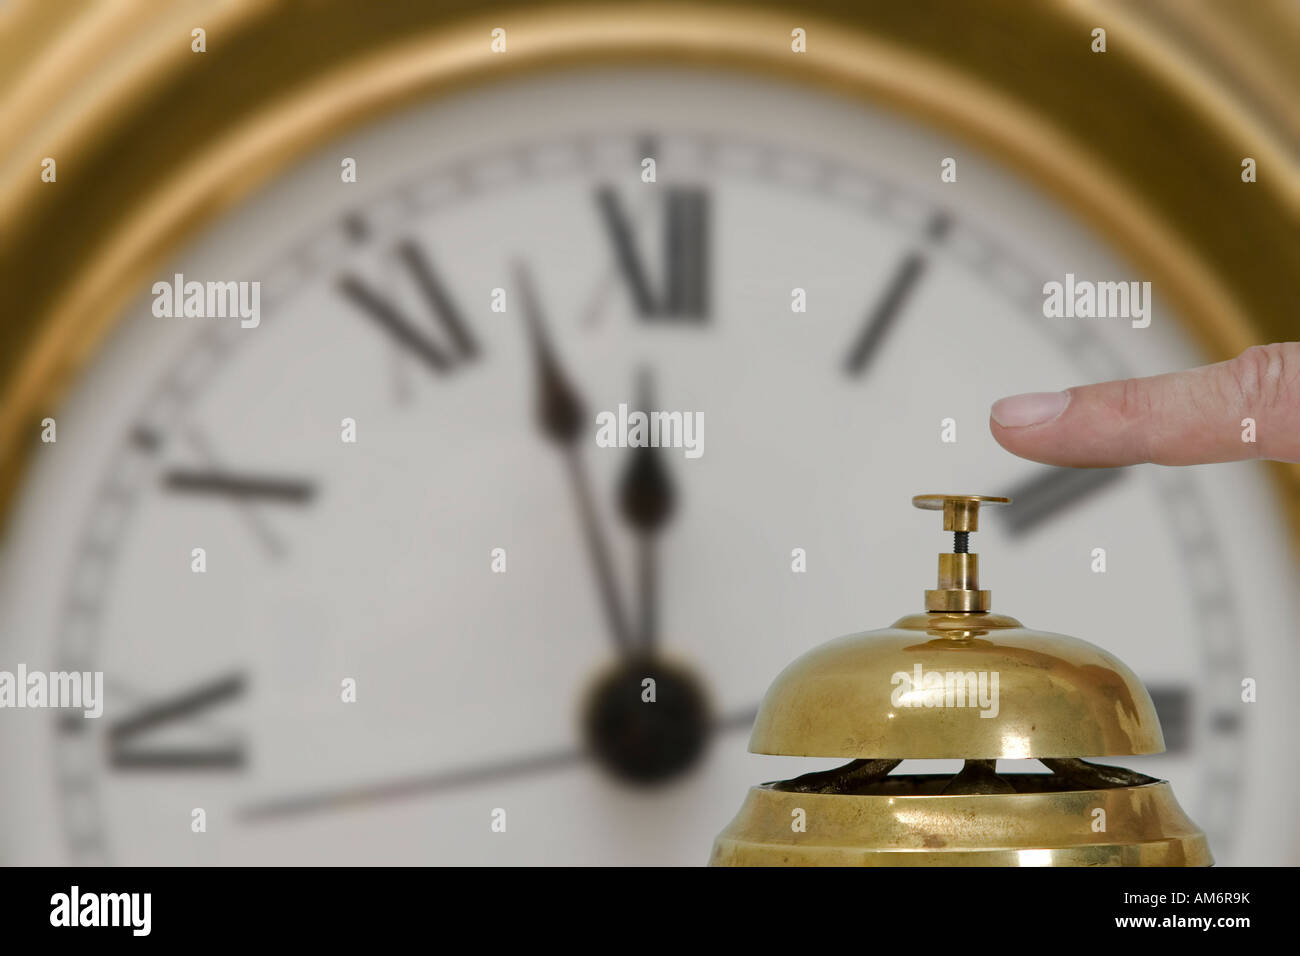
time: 11:57
